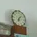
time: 6:06
